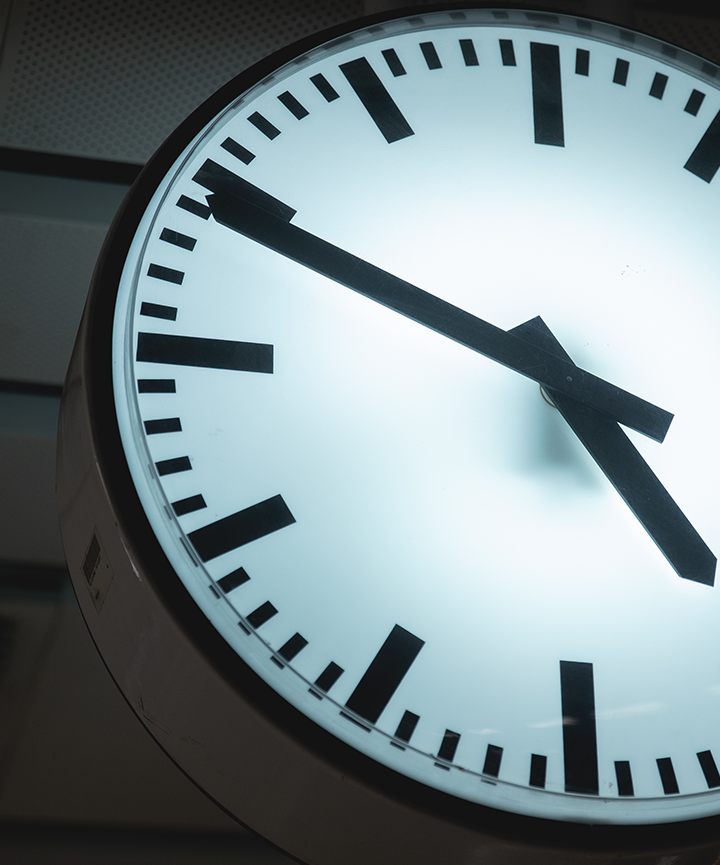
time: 4:49
